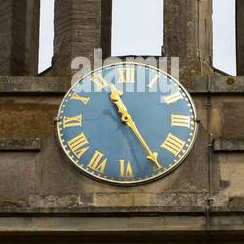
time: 11:24
